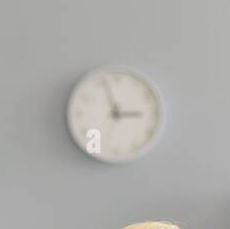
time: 2:56
